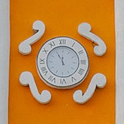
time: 11:55
